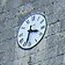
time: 3:32
